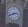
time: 2:40
